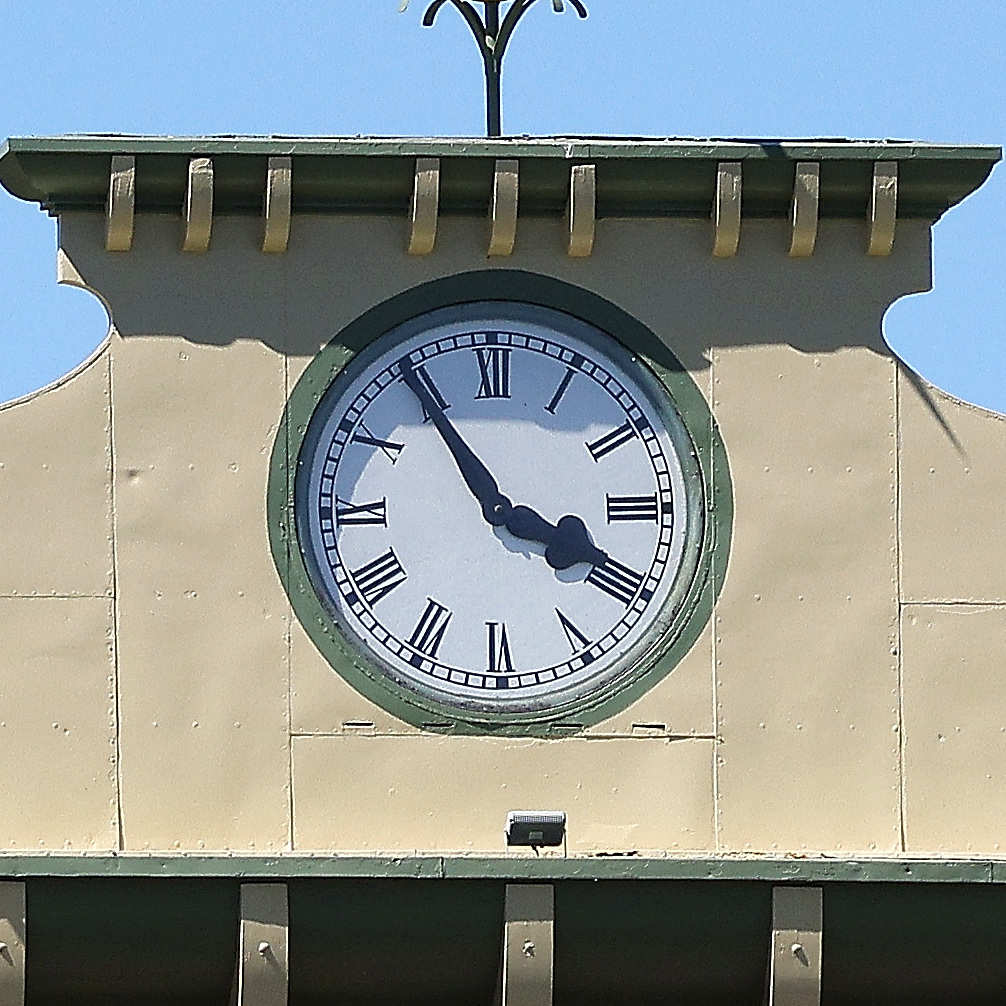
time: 3:54
